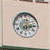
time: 12:13
